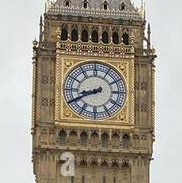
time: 8:40
